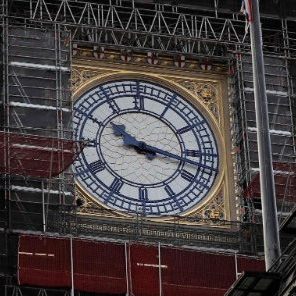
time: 10:17
